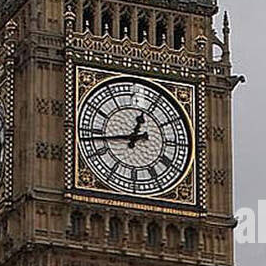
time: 12:43
